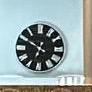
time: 6:50
